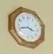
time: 3:42
